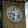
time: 9:33
